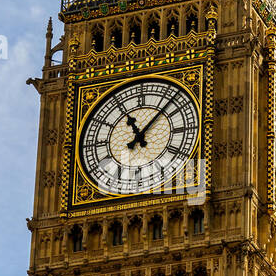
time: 11:07
